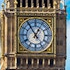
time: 12:54
